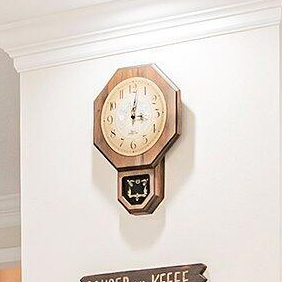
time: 3:01
